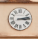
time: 3:13
